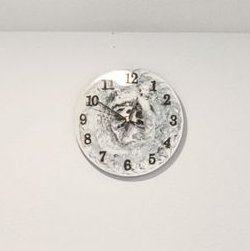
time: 12:50
